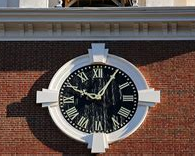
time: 10:05
